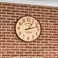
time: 1:12
